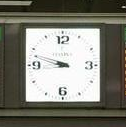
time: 8:47
